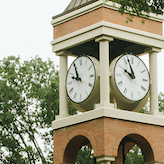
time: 9:55
